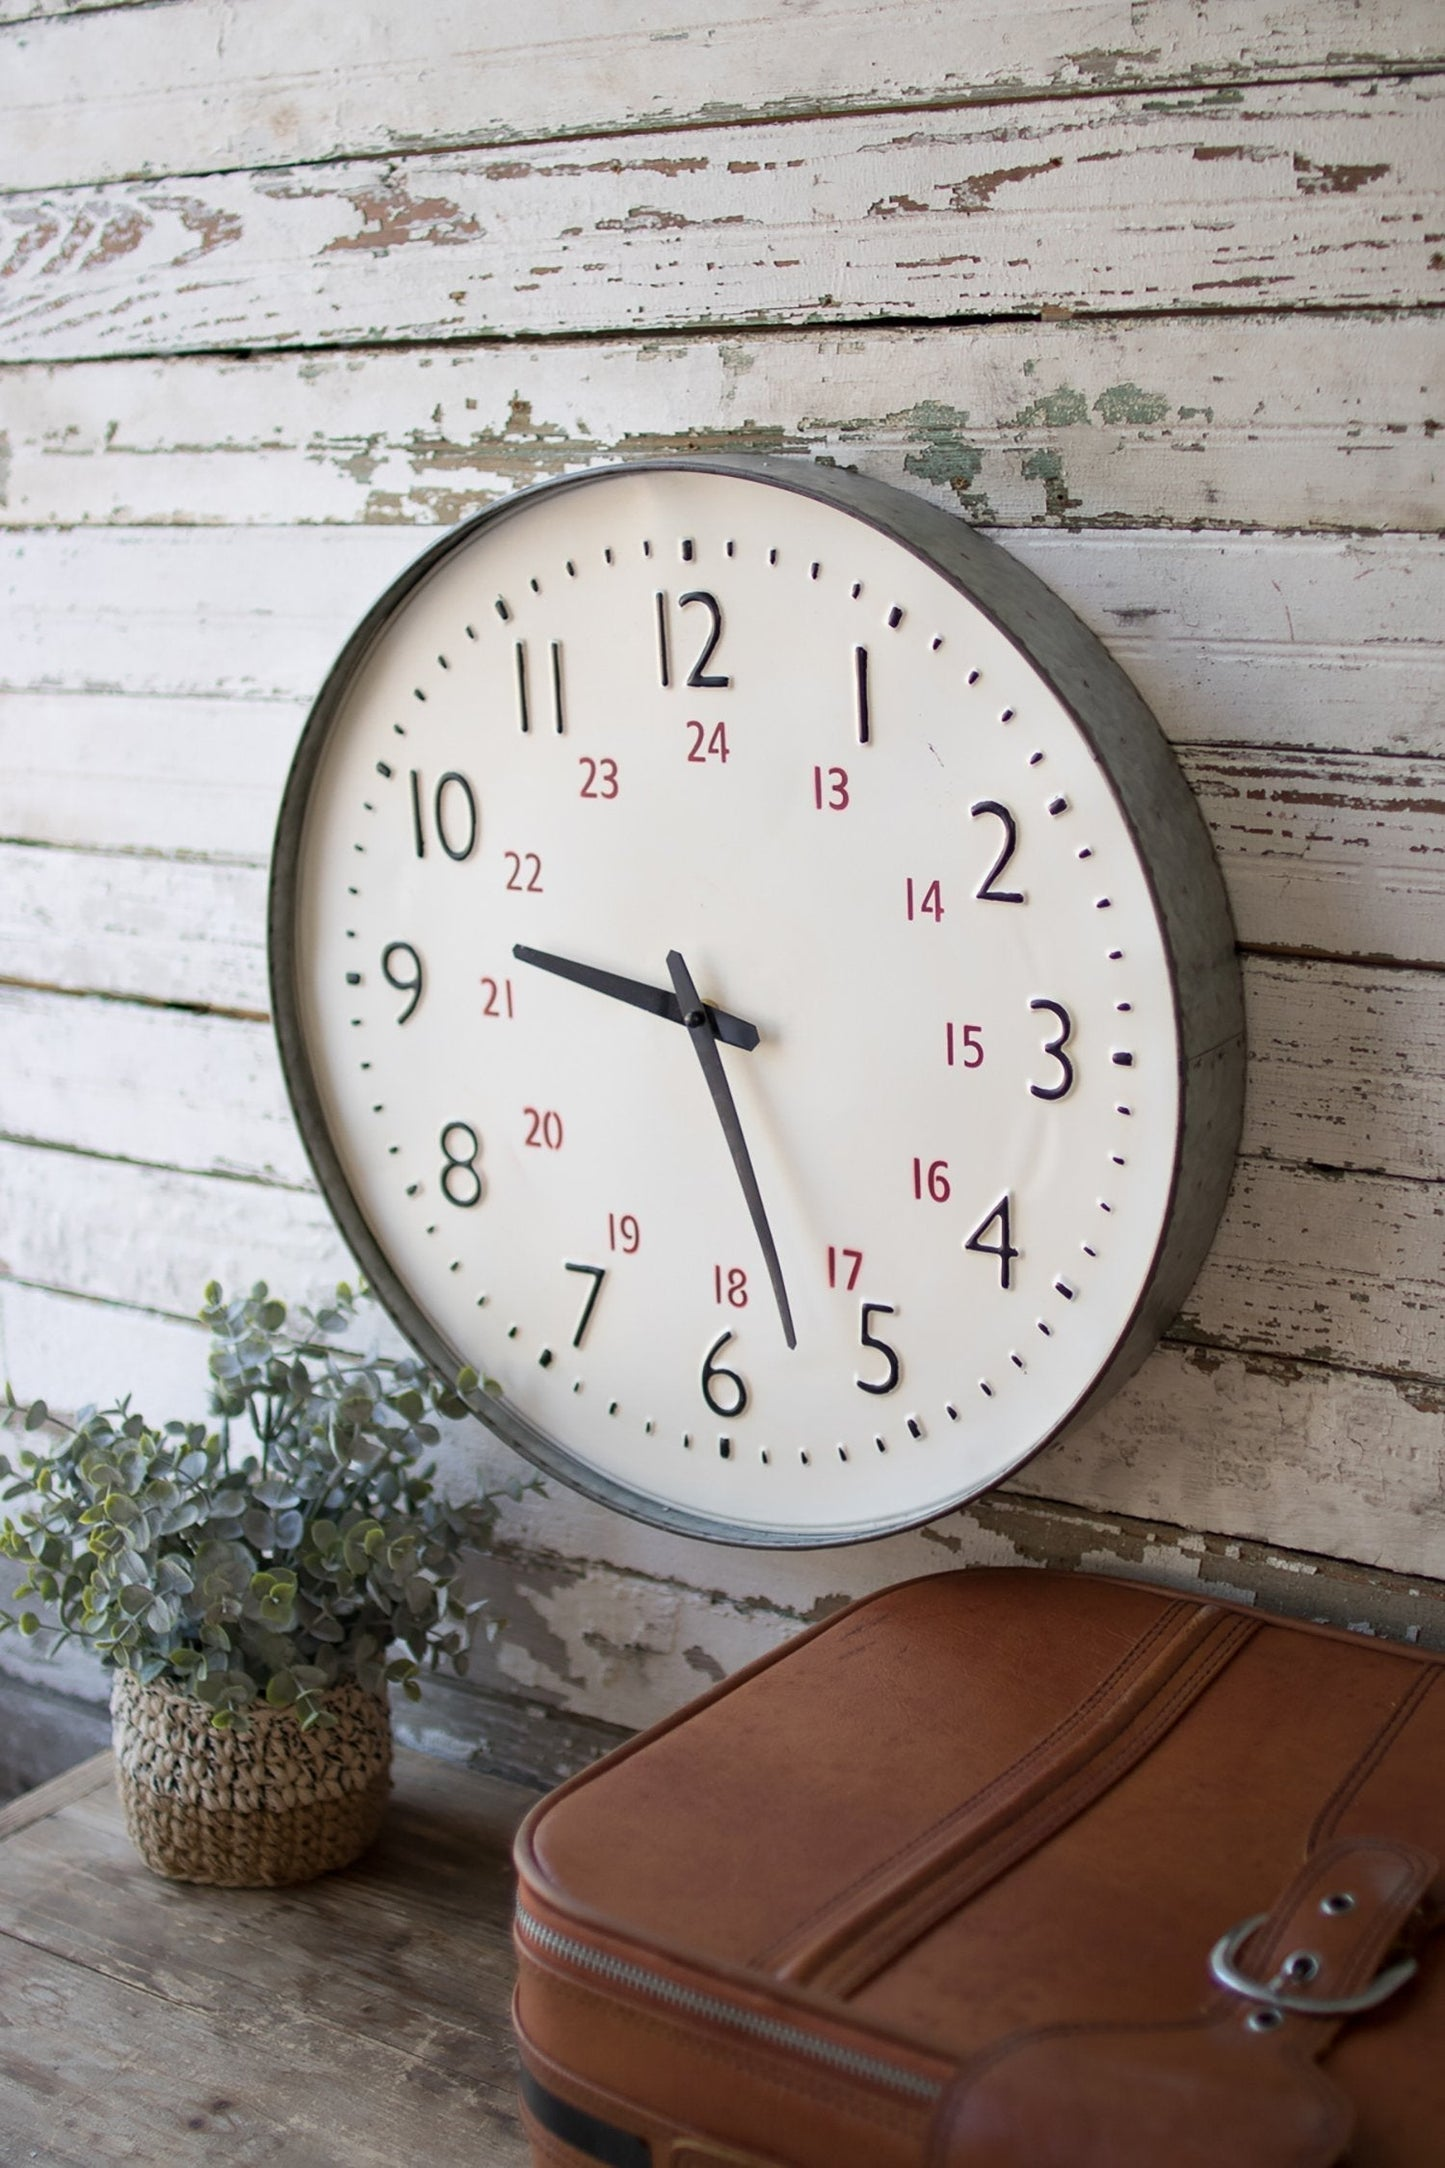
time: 9:27
